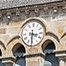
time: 3:30
